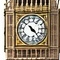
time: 4:23
